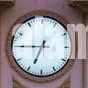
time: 6:45
